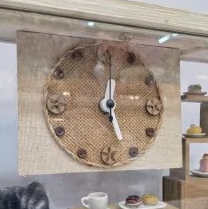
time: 12:26
